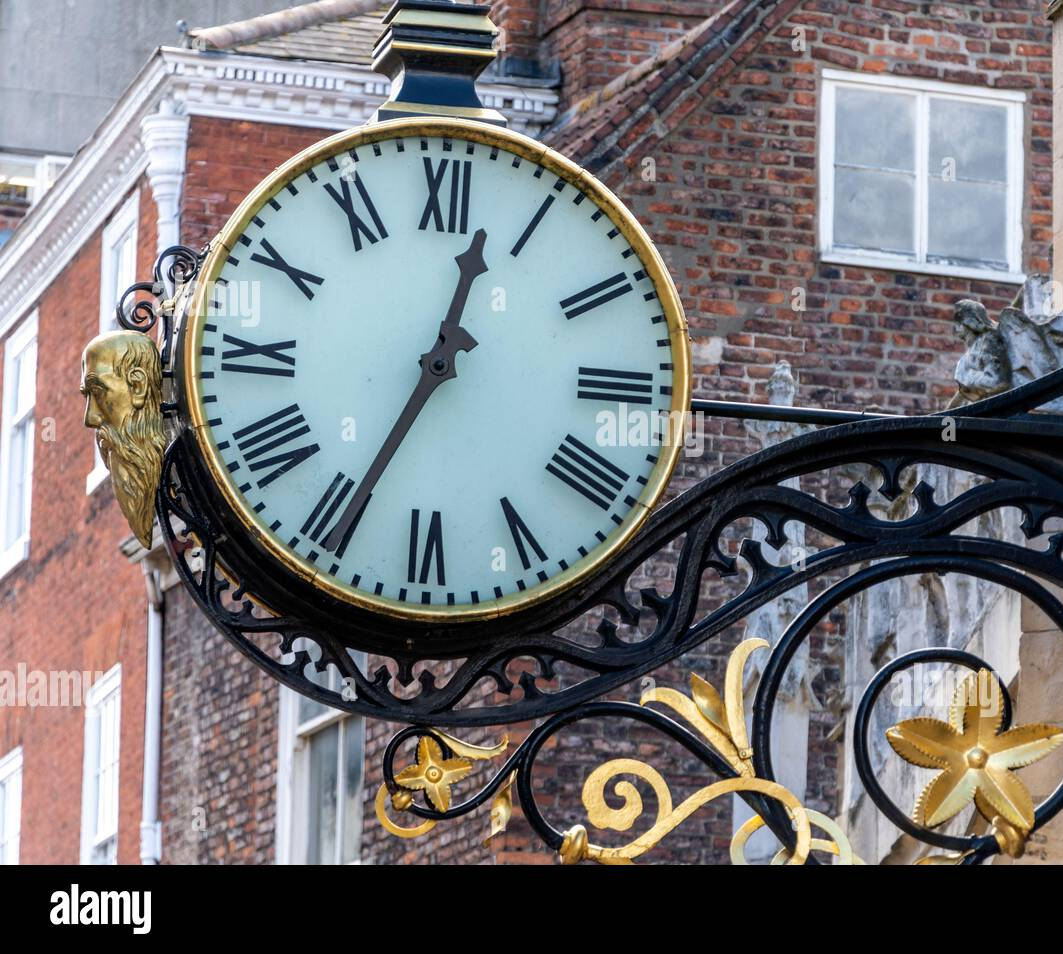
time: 12:34
